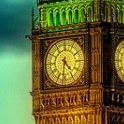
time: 4:31
